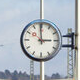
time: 2:59
